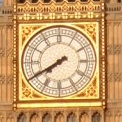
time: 7:40
